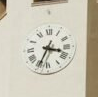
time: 3:34
